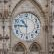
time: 10:45
